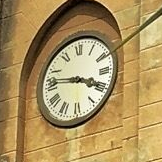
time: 3:46
